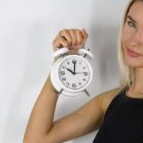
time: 10:00
